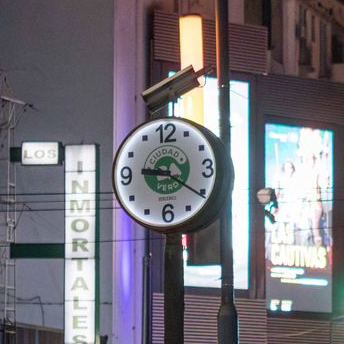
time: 9:20
